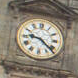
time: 9:21
